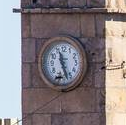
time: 11:26
